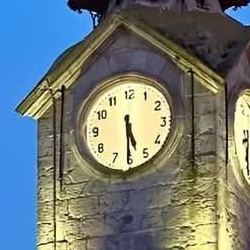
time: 5:30
